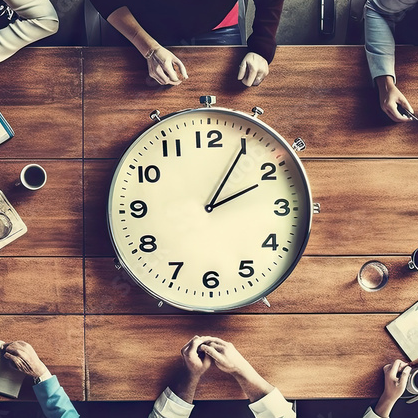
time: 2:05
